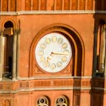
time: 7:16
